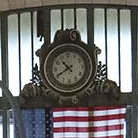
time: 10:40
